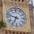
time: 6:47
